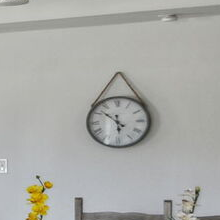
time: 5:51
